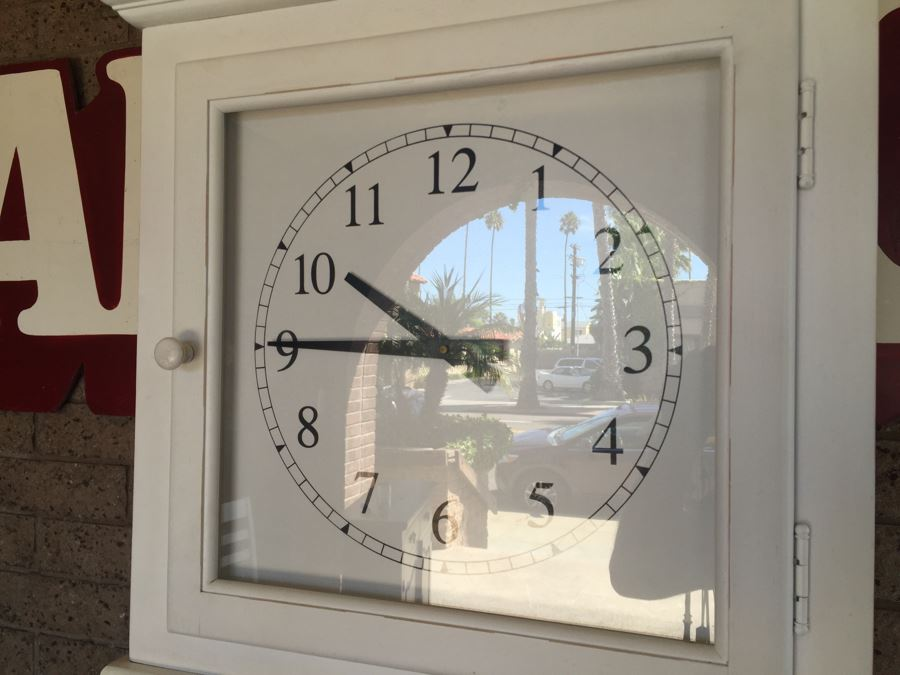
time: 9:45
